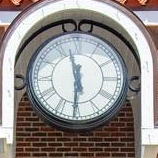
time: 11:30
